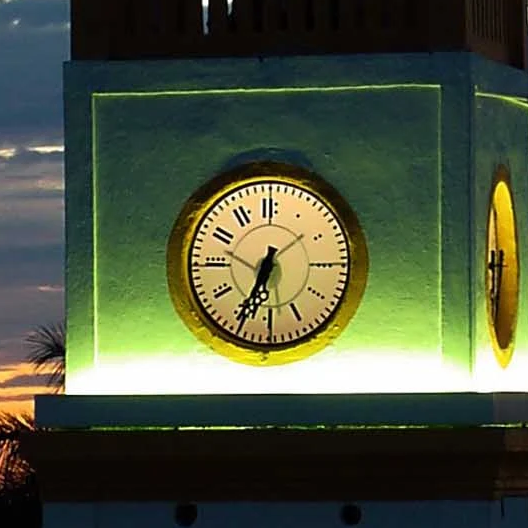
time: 6:34
